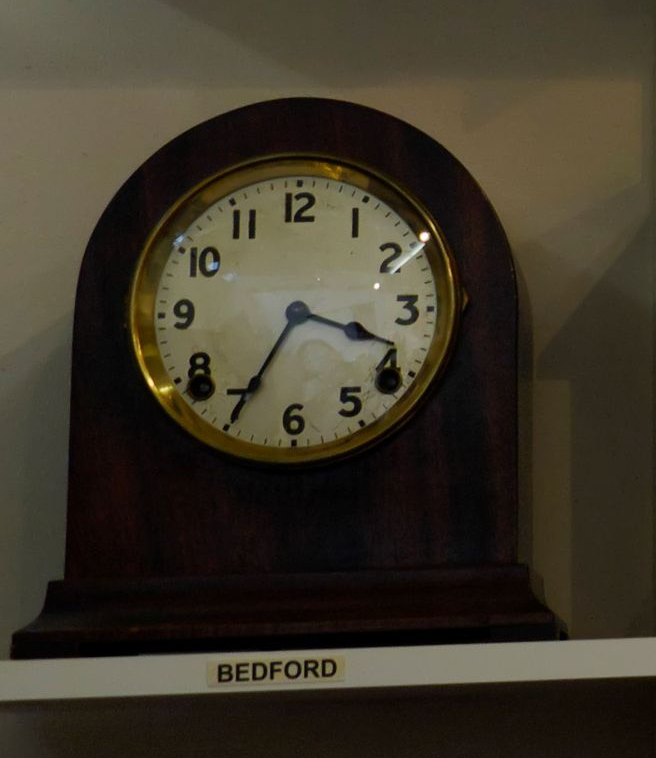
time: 3:35
